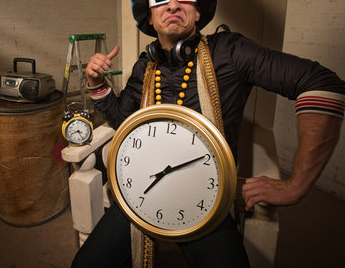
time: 7:09
